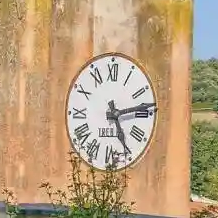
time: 5:13
